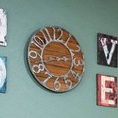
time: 2:42
